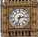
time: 2:32
